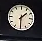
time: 1:30
